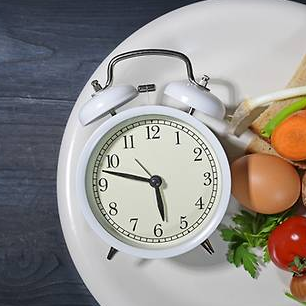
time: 5:47
